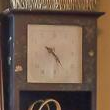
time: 4:23
